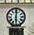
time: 6:01
